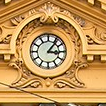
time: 3:06
